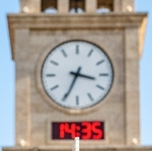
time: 3:34
